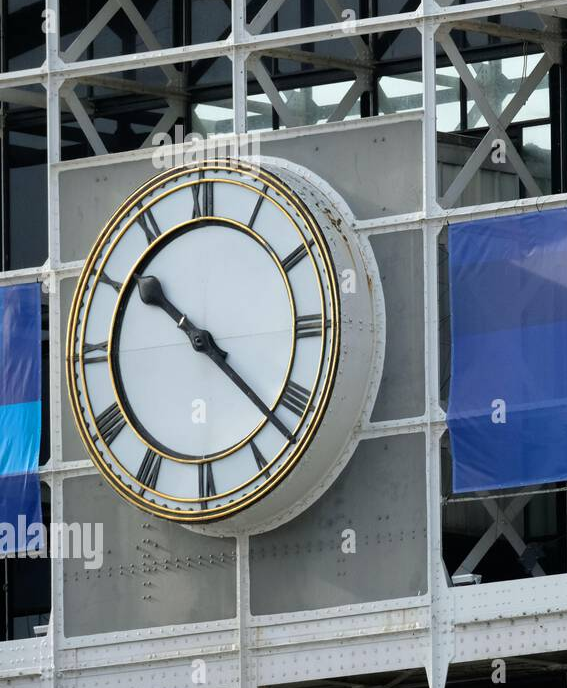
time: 10:22
